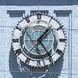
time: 1:24
